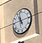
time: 11:13
